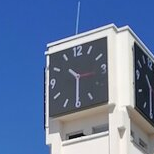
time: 10:30
